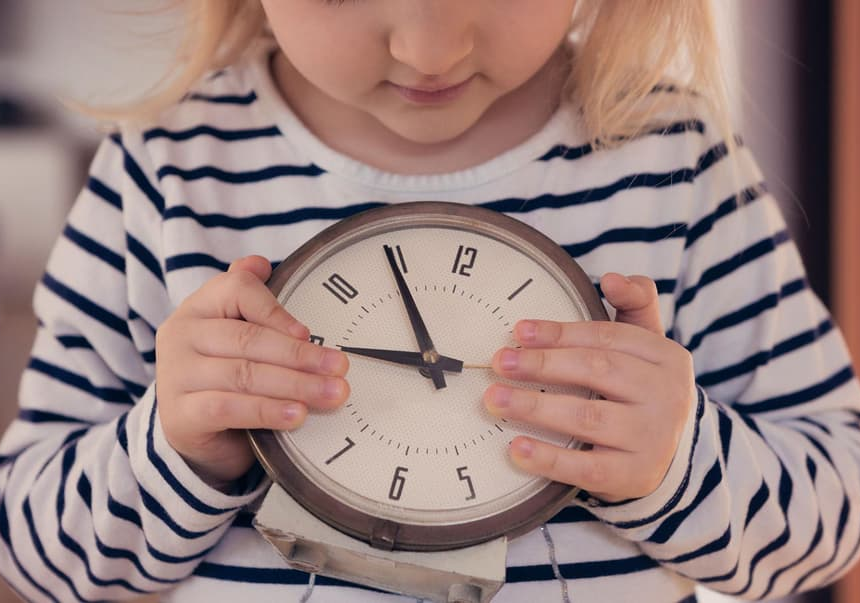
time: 8:54
